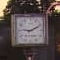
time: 9:10
